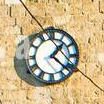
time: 1:22
